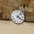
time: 4:07
